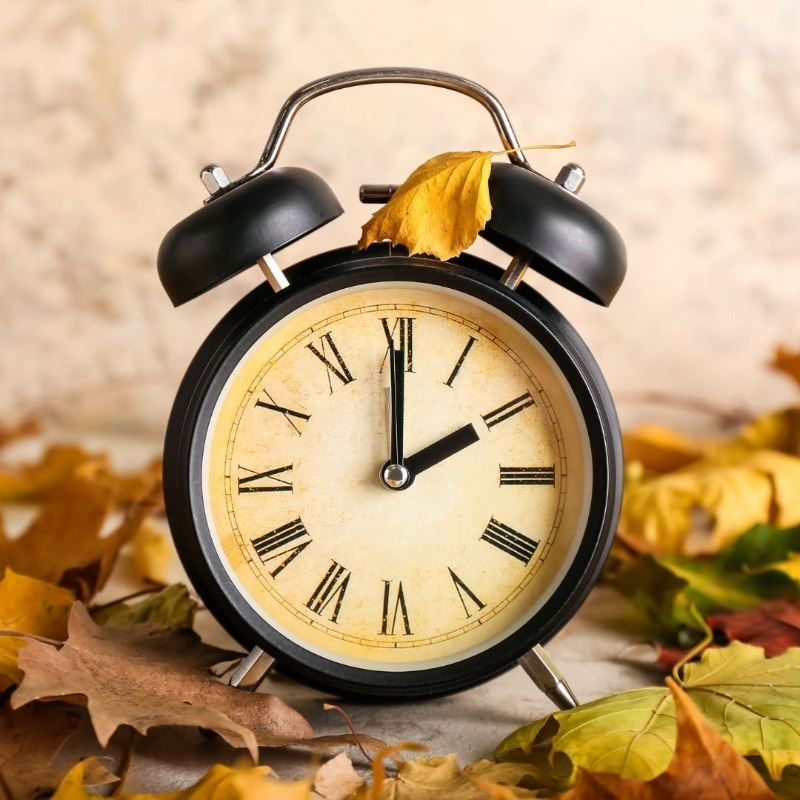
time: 2:00
